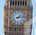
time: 1:13
